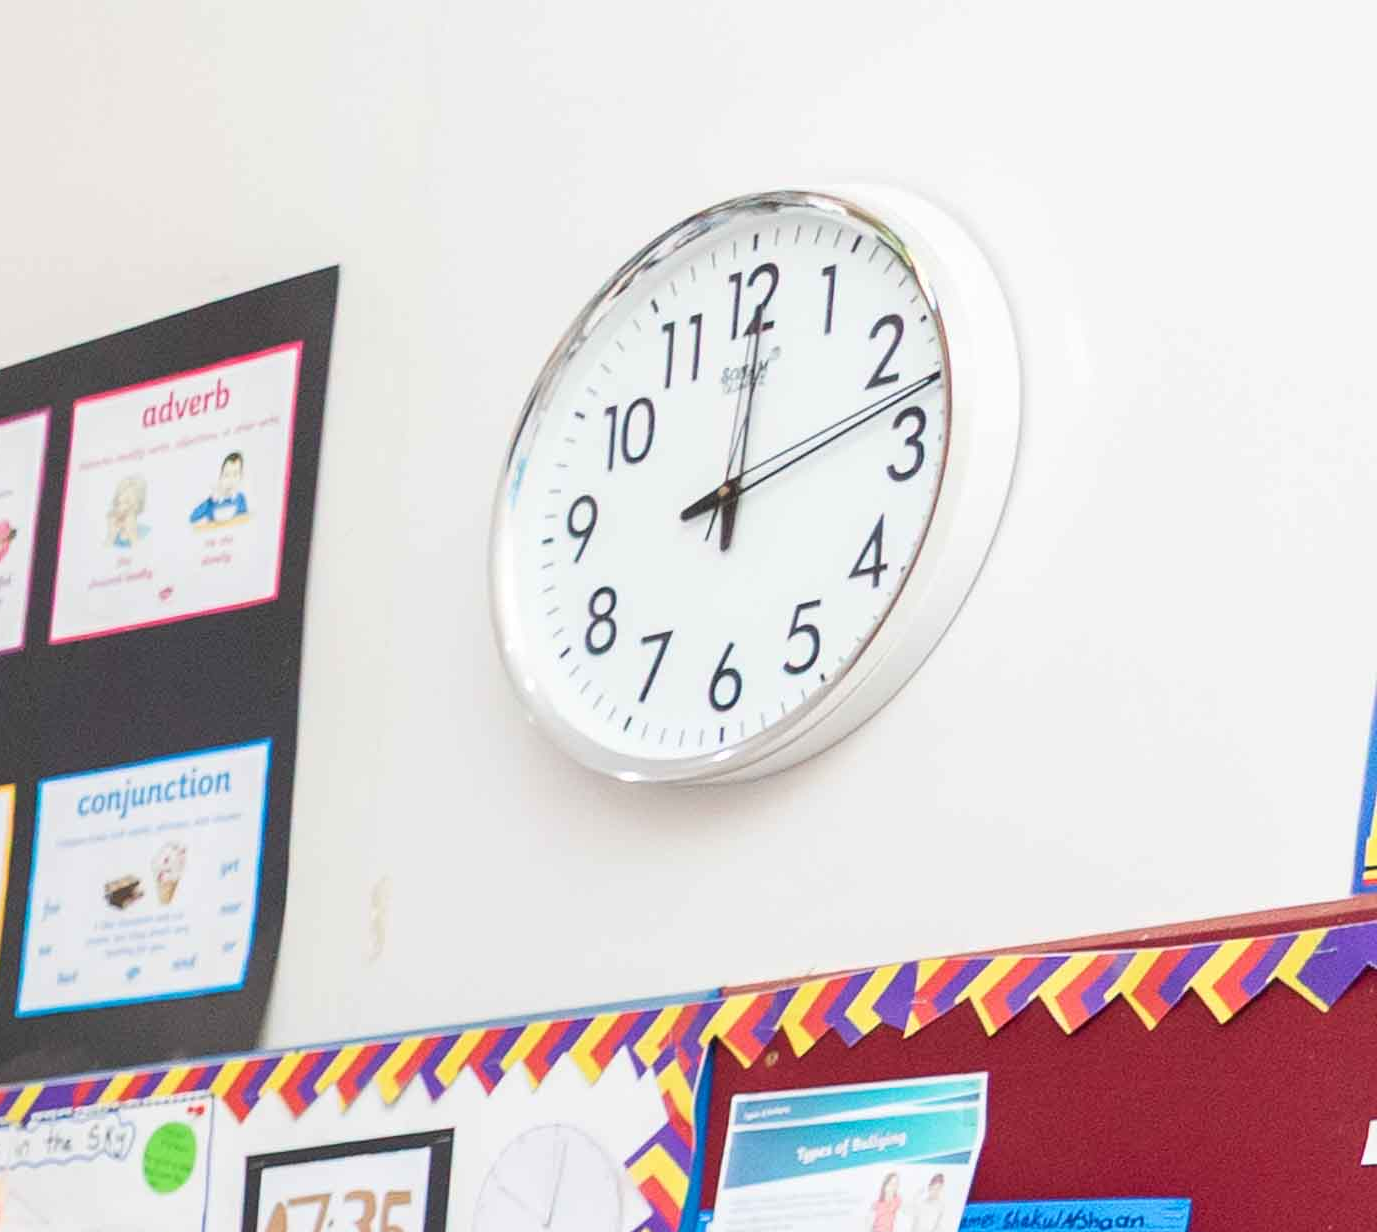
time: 12:12
